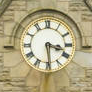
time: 3:29
